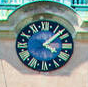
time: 4:07
